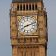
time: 8:11
